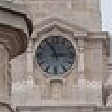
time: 11:14
